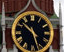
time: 10:27
